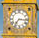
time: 7:16
